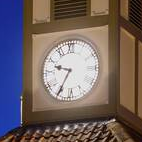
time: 9:35
